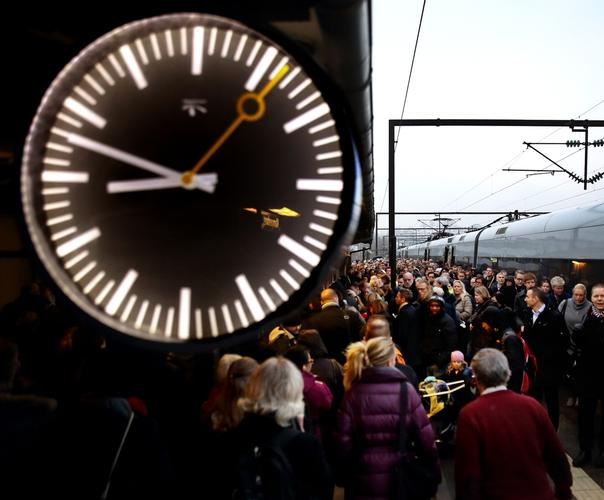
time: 8:48
